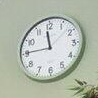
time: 11:45
